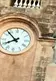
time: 7:52
